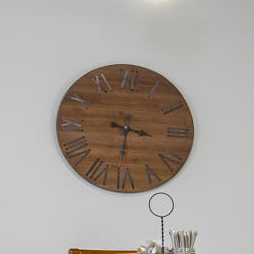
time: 3:31
